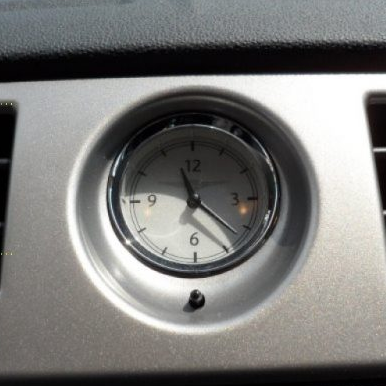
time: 11:22
